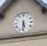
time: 5:31
